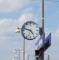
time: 4:47
